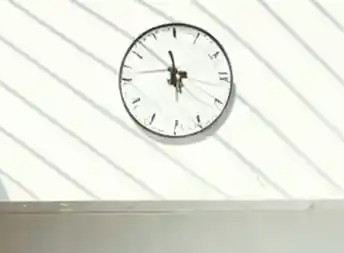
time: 11:58
